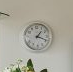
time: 1:18
